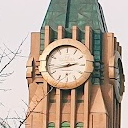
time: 2:42
